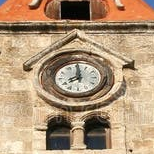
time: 7:59
